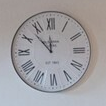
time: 11:52
